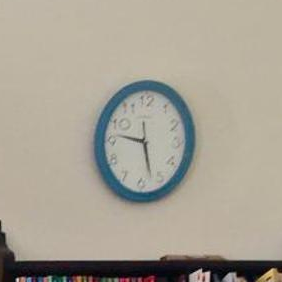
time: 9:27
